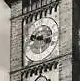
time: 9:18
